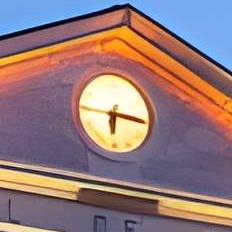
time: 6:15
